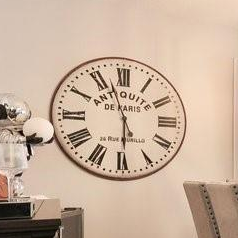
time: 5:56
